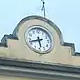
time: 5:42
